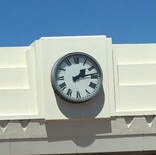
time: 1:13
